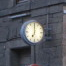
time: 7:00
